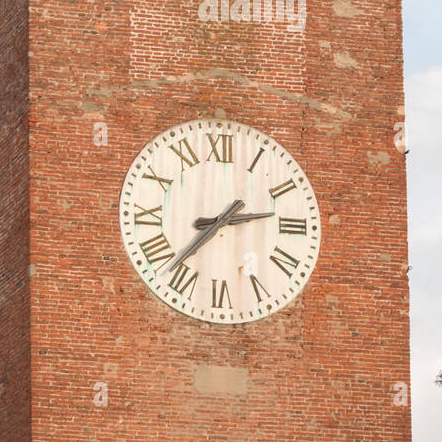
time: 2:37
